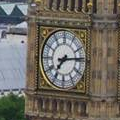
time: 7:14
